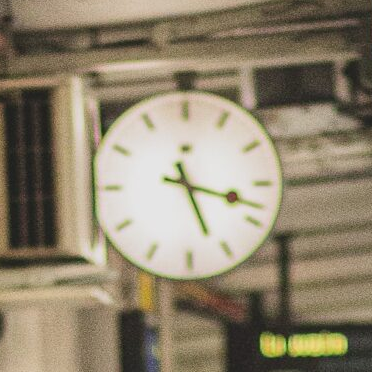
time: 5:17
